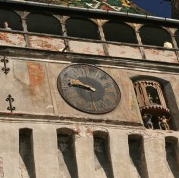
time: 9:45
